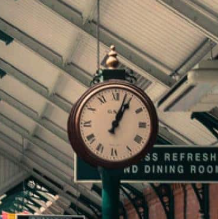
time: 1:03
